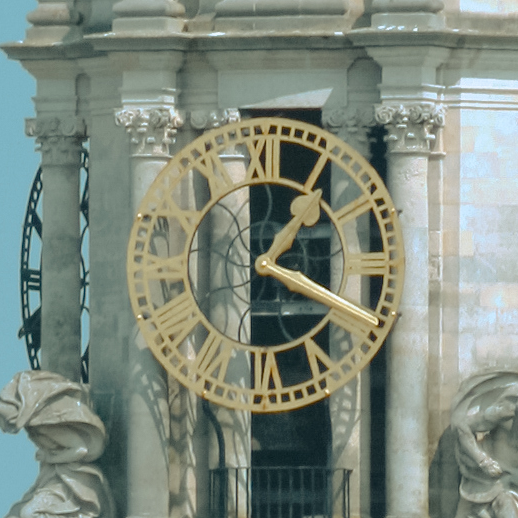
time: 1:18
